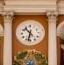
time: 10:32
